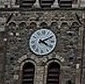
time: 4:10
